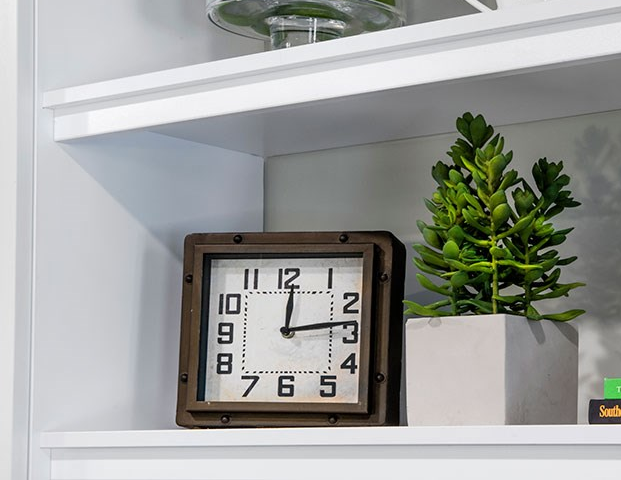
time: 12:13
